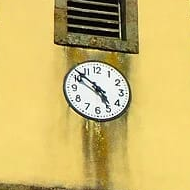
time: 4:51
